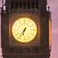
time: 6:36
